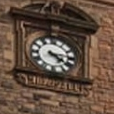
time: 4:14
